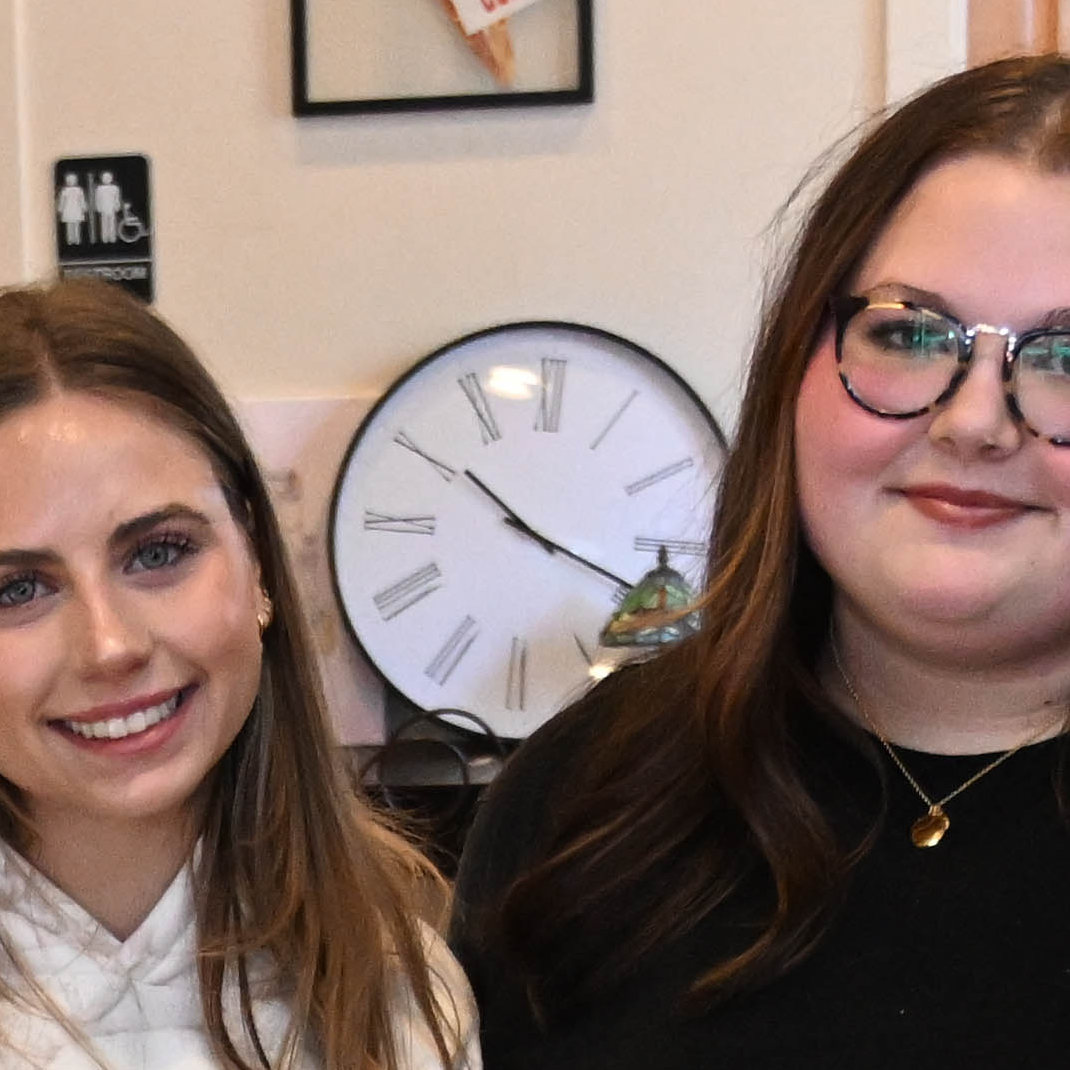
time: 10:17
